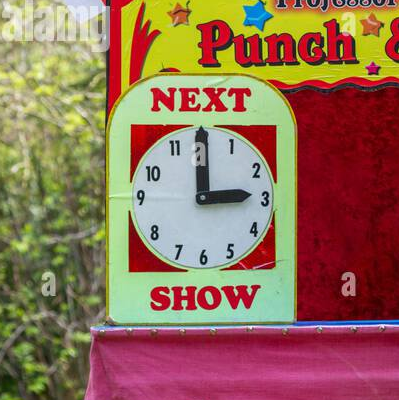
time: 3:00
